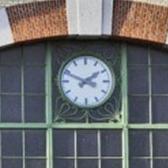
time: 1:48
